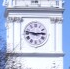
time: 2:46
